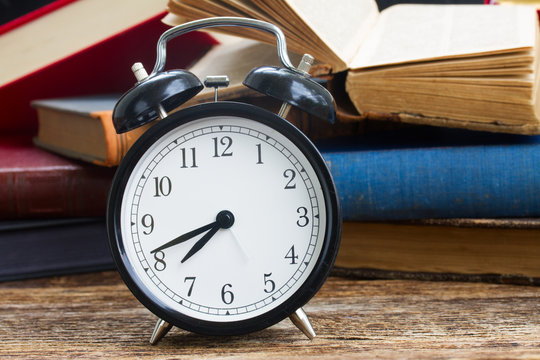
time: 7:41
